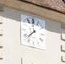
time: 7:37
